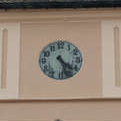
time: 4:26
